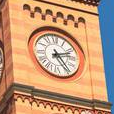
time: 2:24
